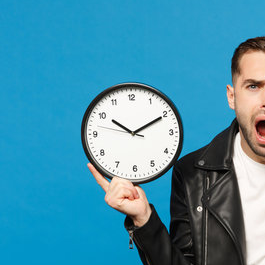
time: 10:10
